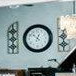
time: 12:52
